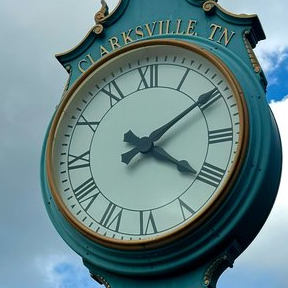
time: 4:09
